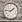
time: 1:46
